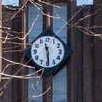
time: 11:29
